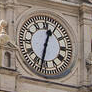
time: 12:32
